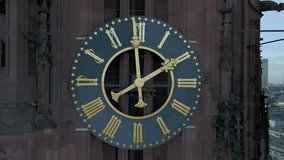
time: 1:59
